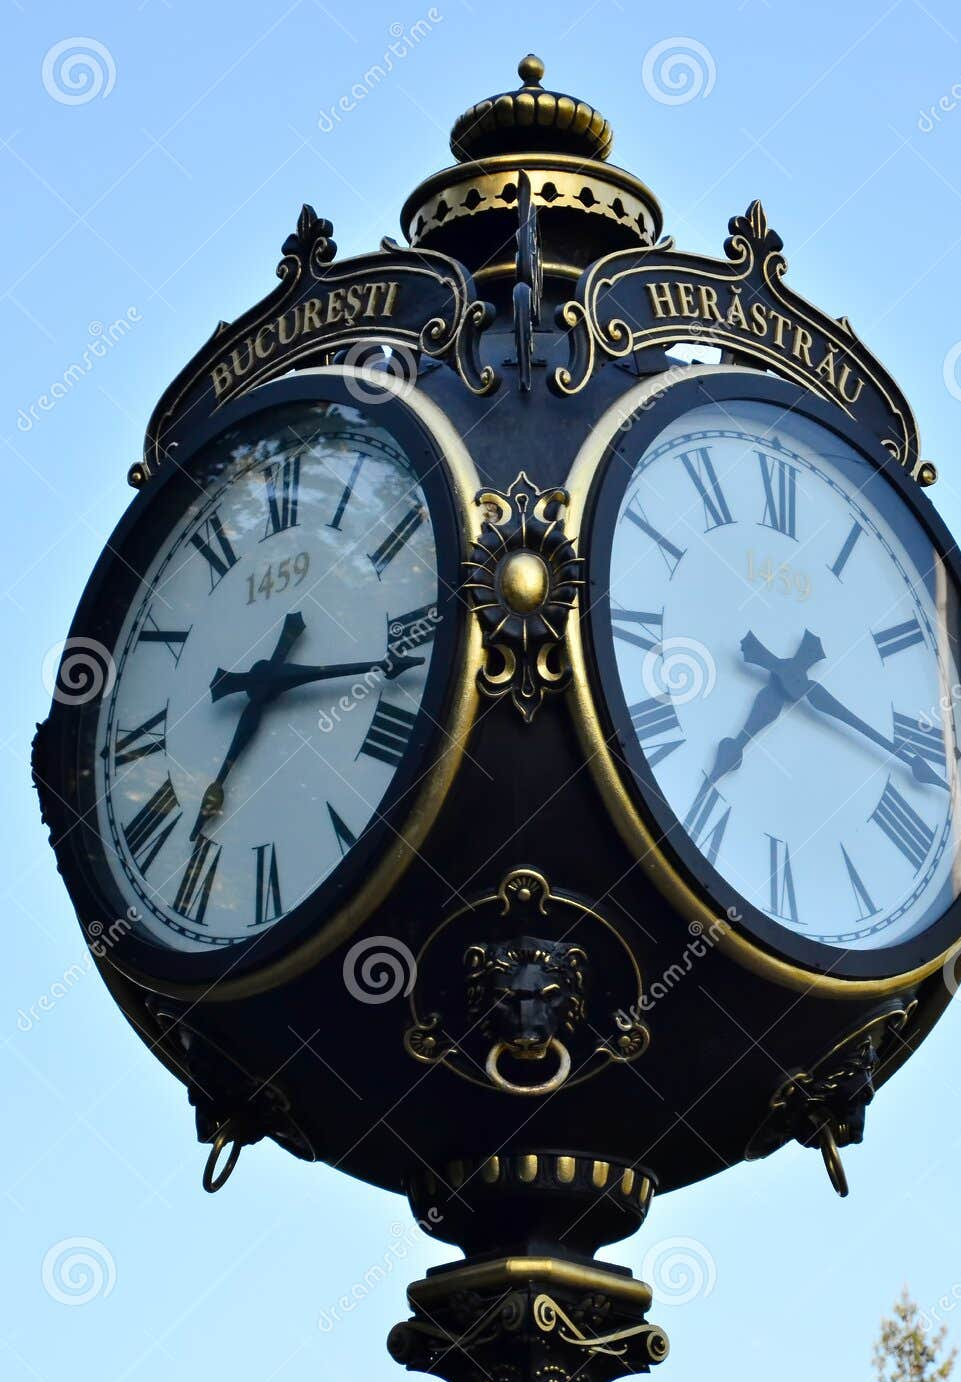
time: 7:15
